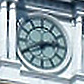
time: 2:40
